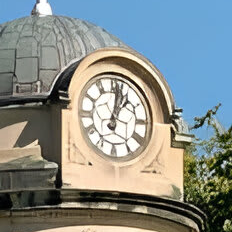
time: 1:02
